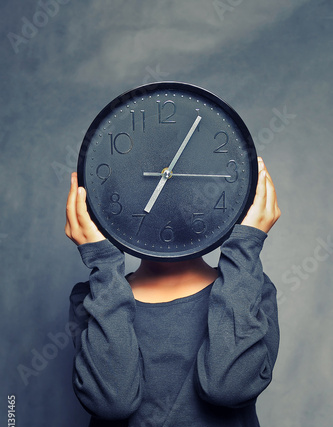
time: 7:05
